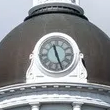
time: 11:26
